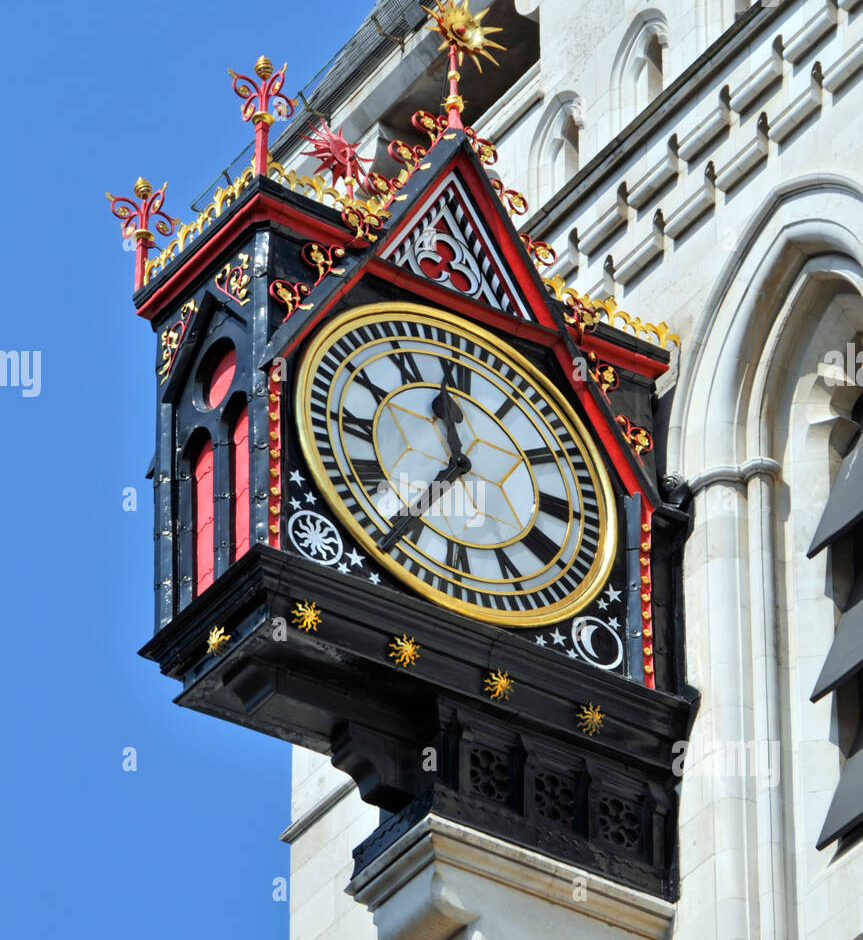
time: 11:35
